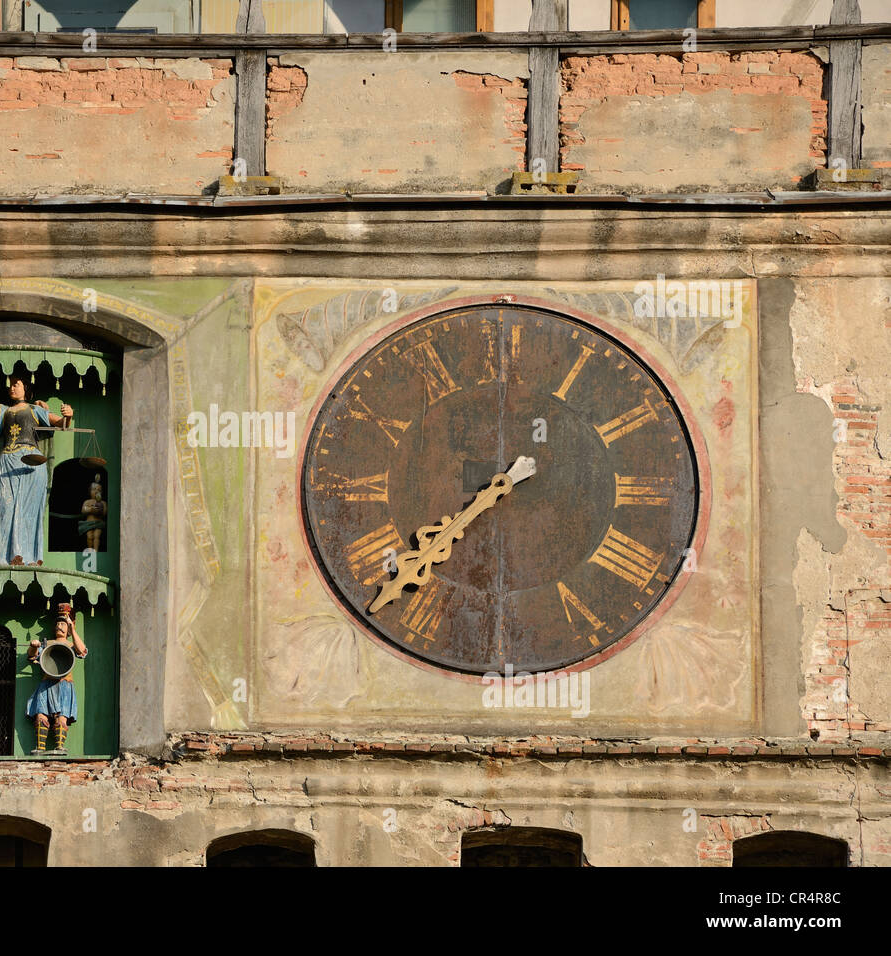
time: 7:37
